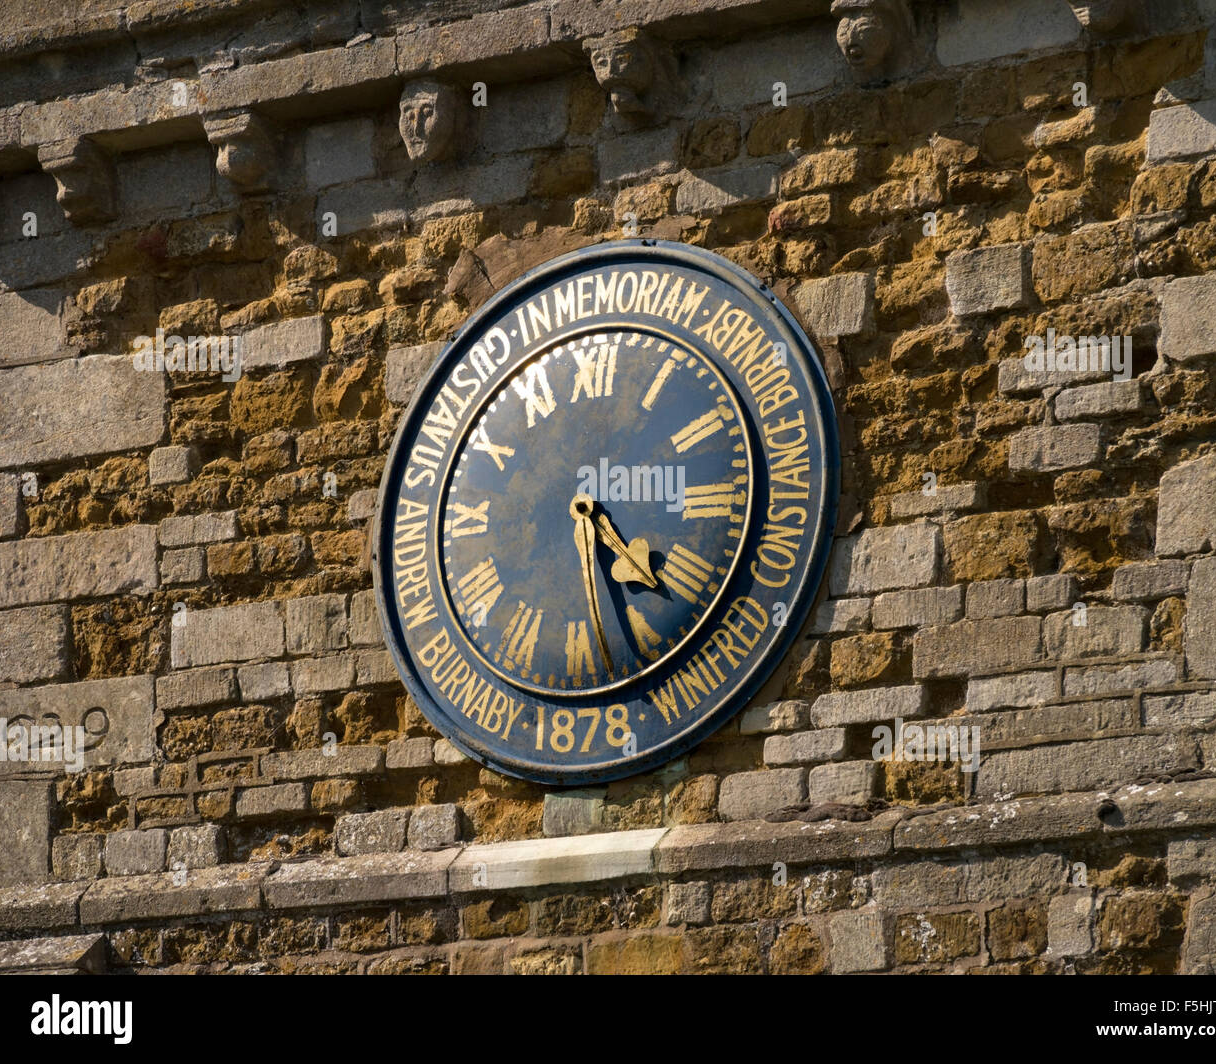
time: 4:26
